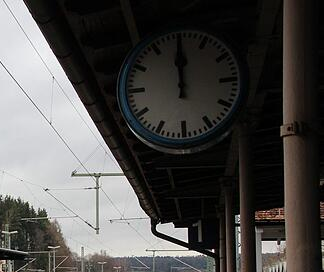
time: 11:59
